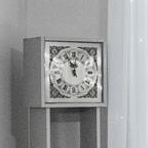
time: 11:55
